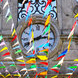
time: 2:40
